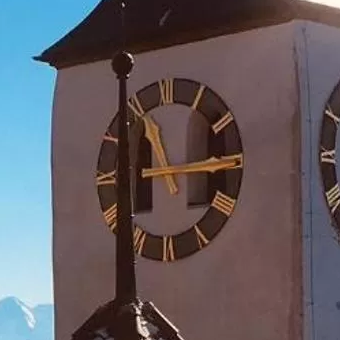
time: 11:14
